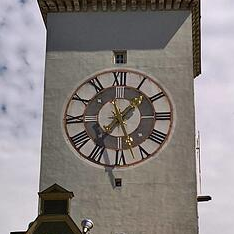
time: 1:36
